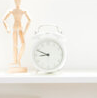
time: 8:48
